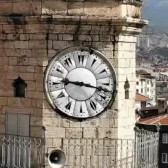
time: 9:17
